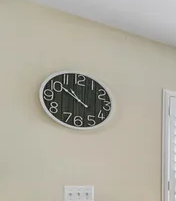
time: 10:51
